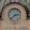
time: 2:38
